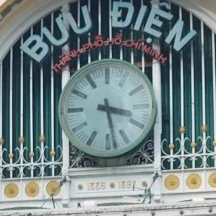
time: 3:28
